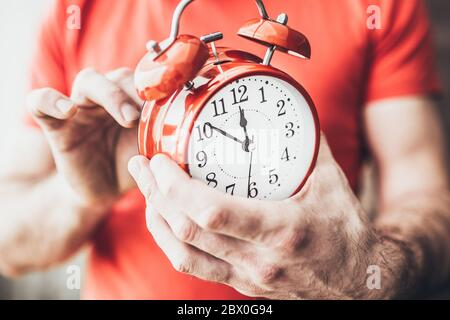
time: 11:51
